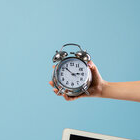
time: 2:52
